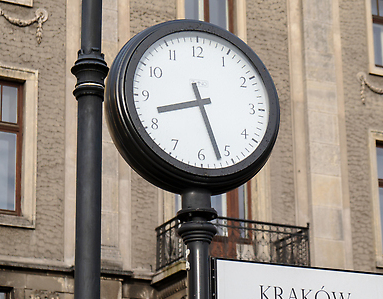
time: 8:26
